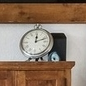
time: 12:11
